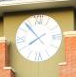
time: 7:53
